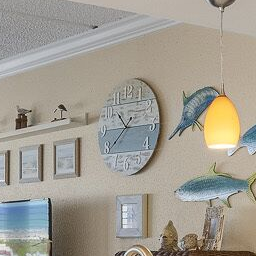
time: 10:39
